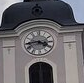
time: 3:43
